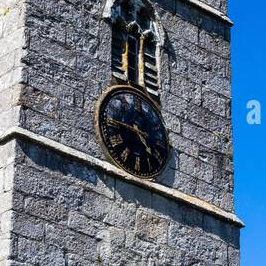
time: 4:46
